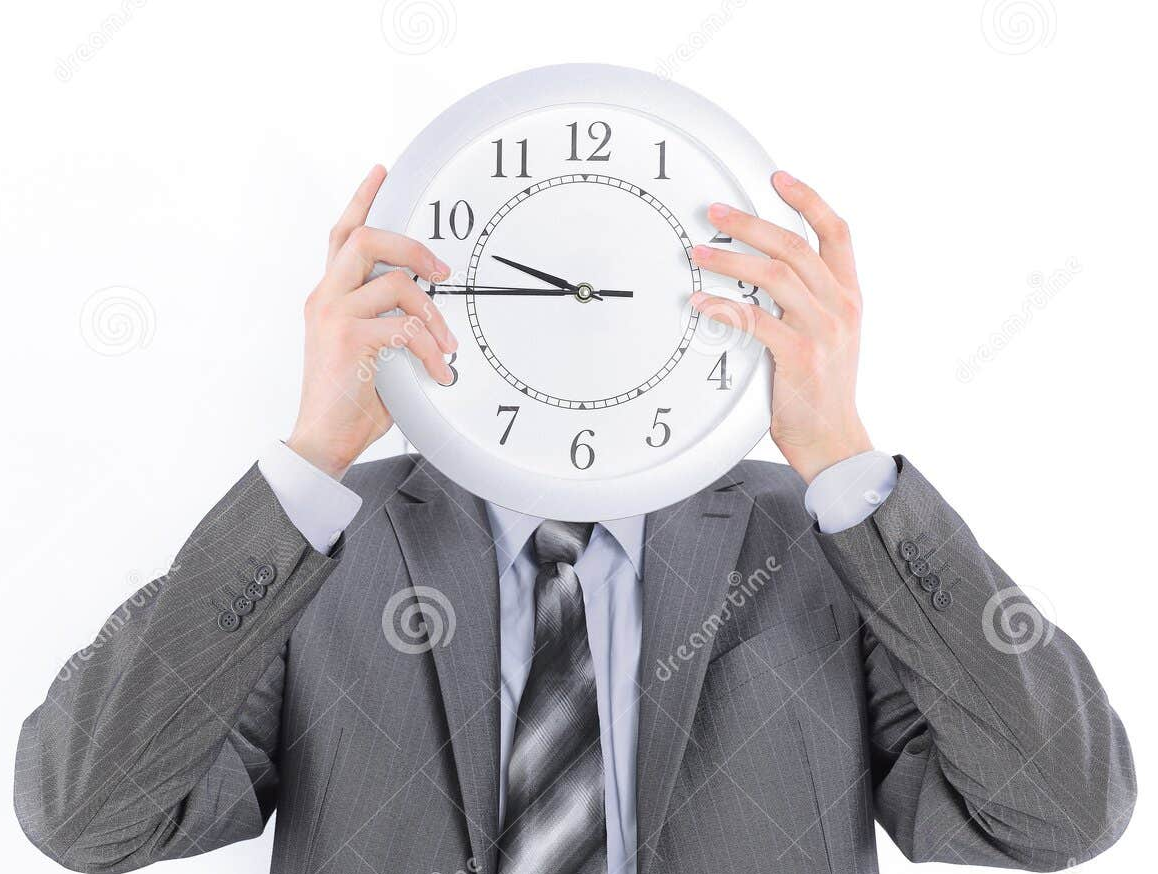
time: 9:44
